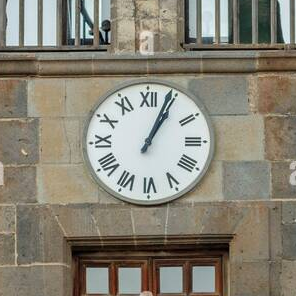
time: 1:04
